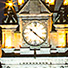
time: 10:21
